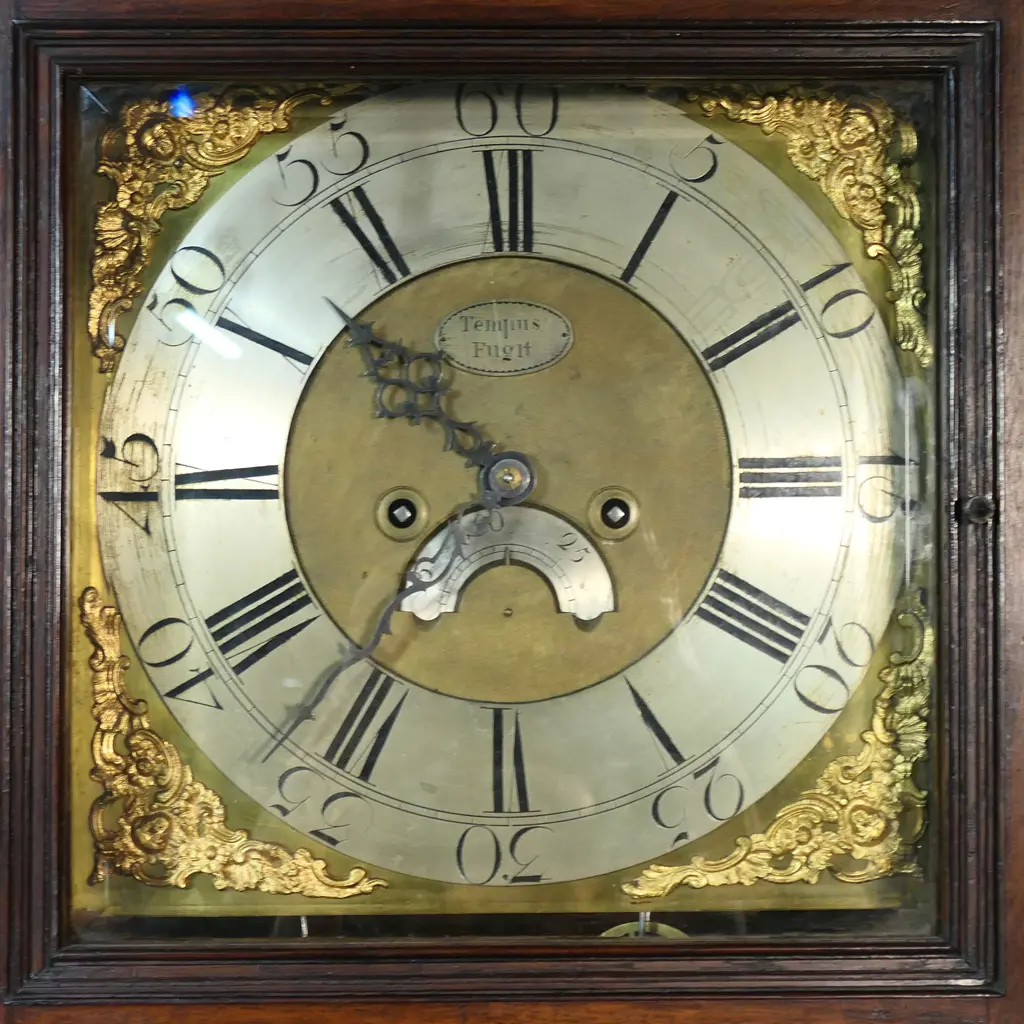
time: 10:36
